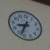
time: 8:33
